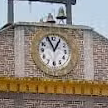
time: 12:55
